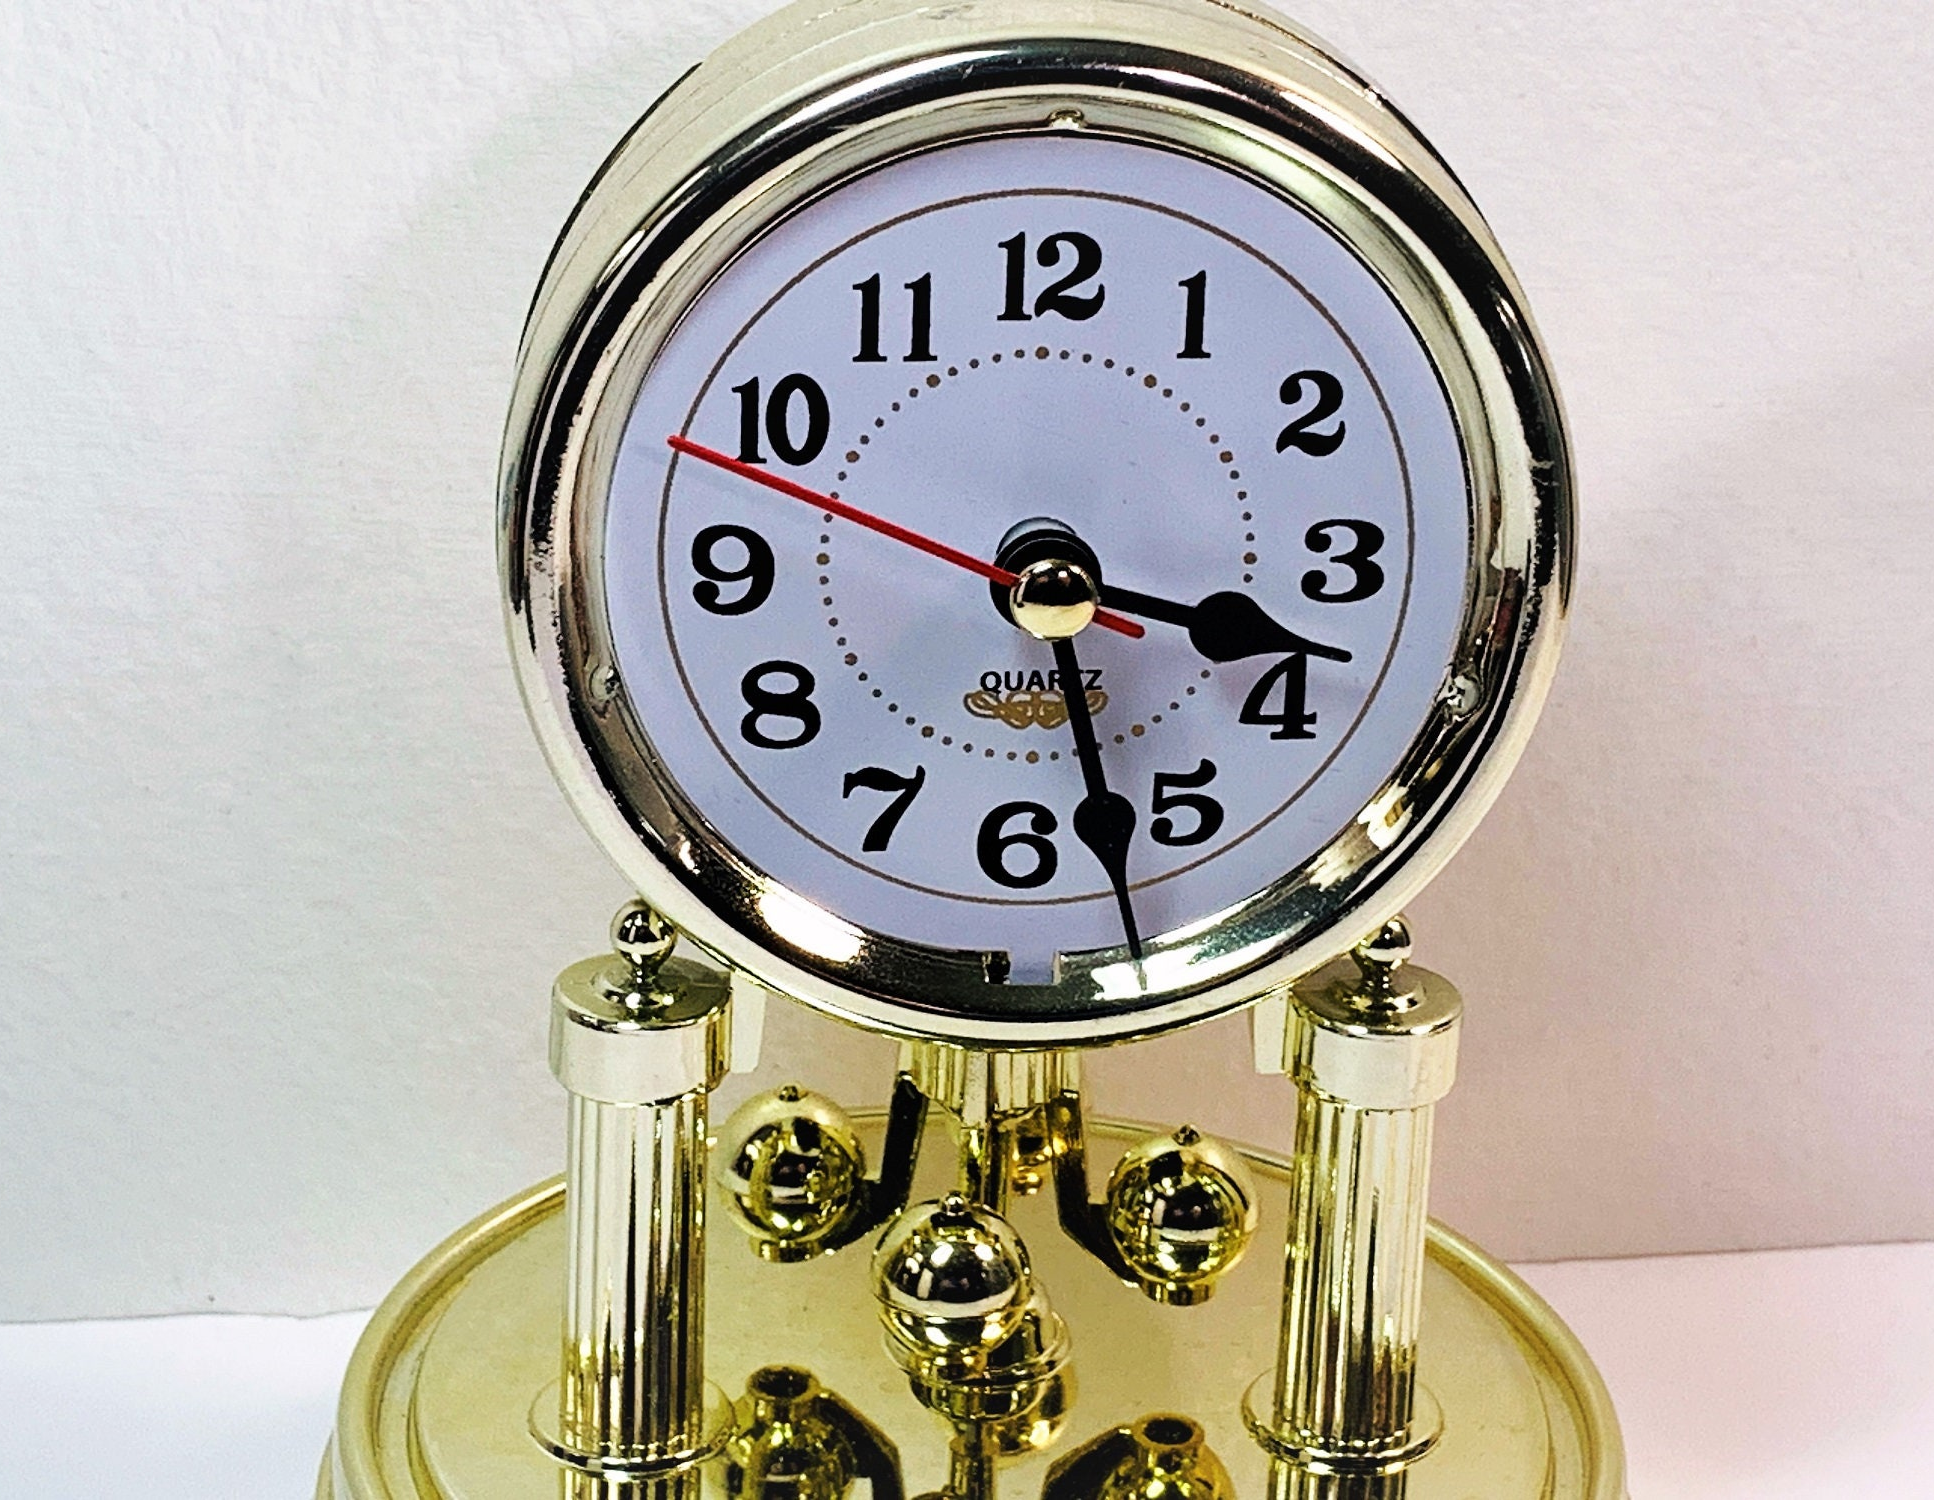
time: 3:27
